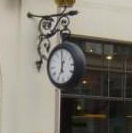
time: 7:00
